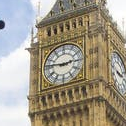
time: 2:46
